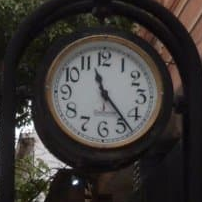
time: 11:23
